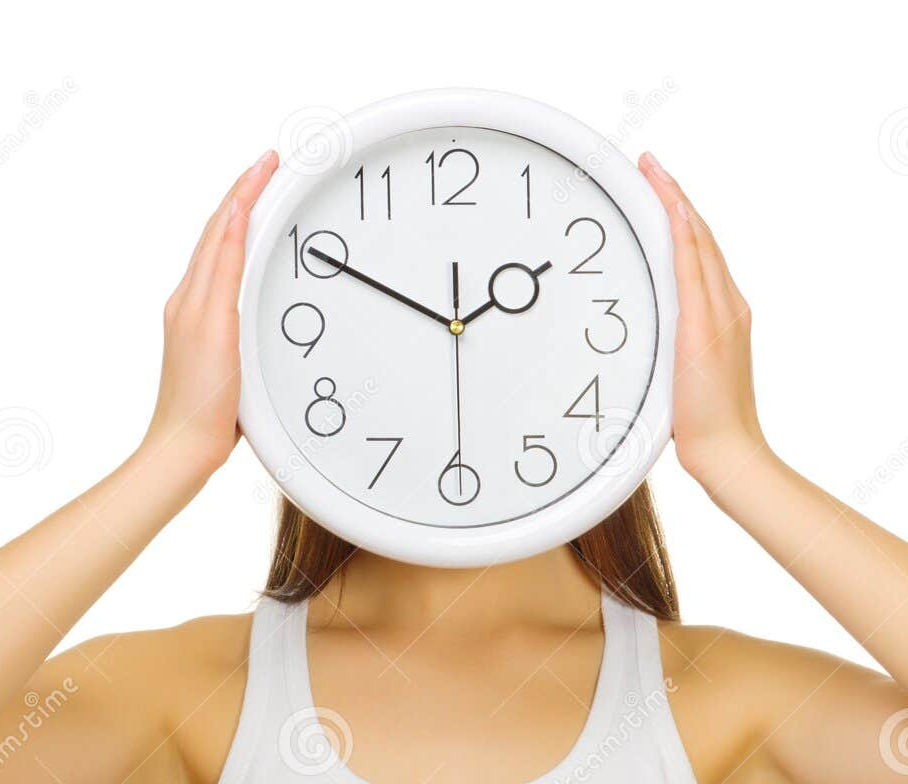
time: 1:49
